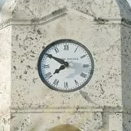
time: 7:50
